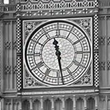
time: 11:28
